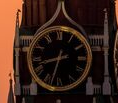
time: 8:32
